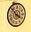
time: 3:52
